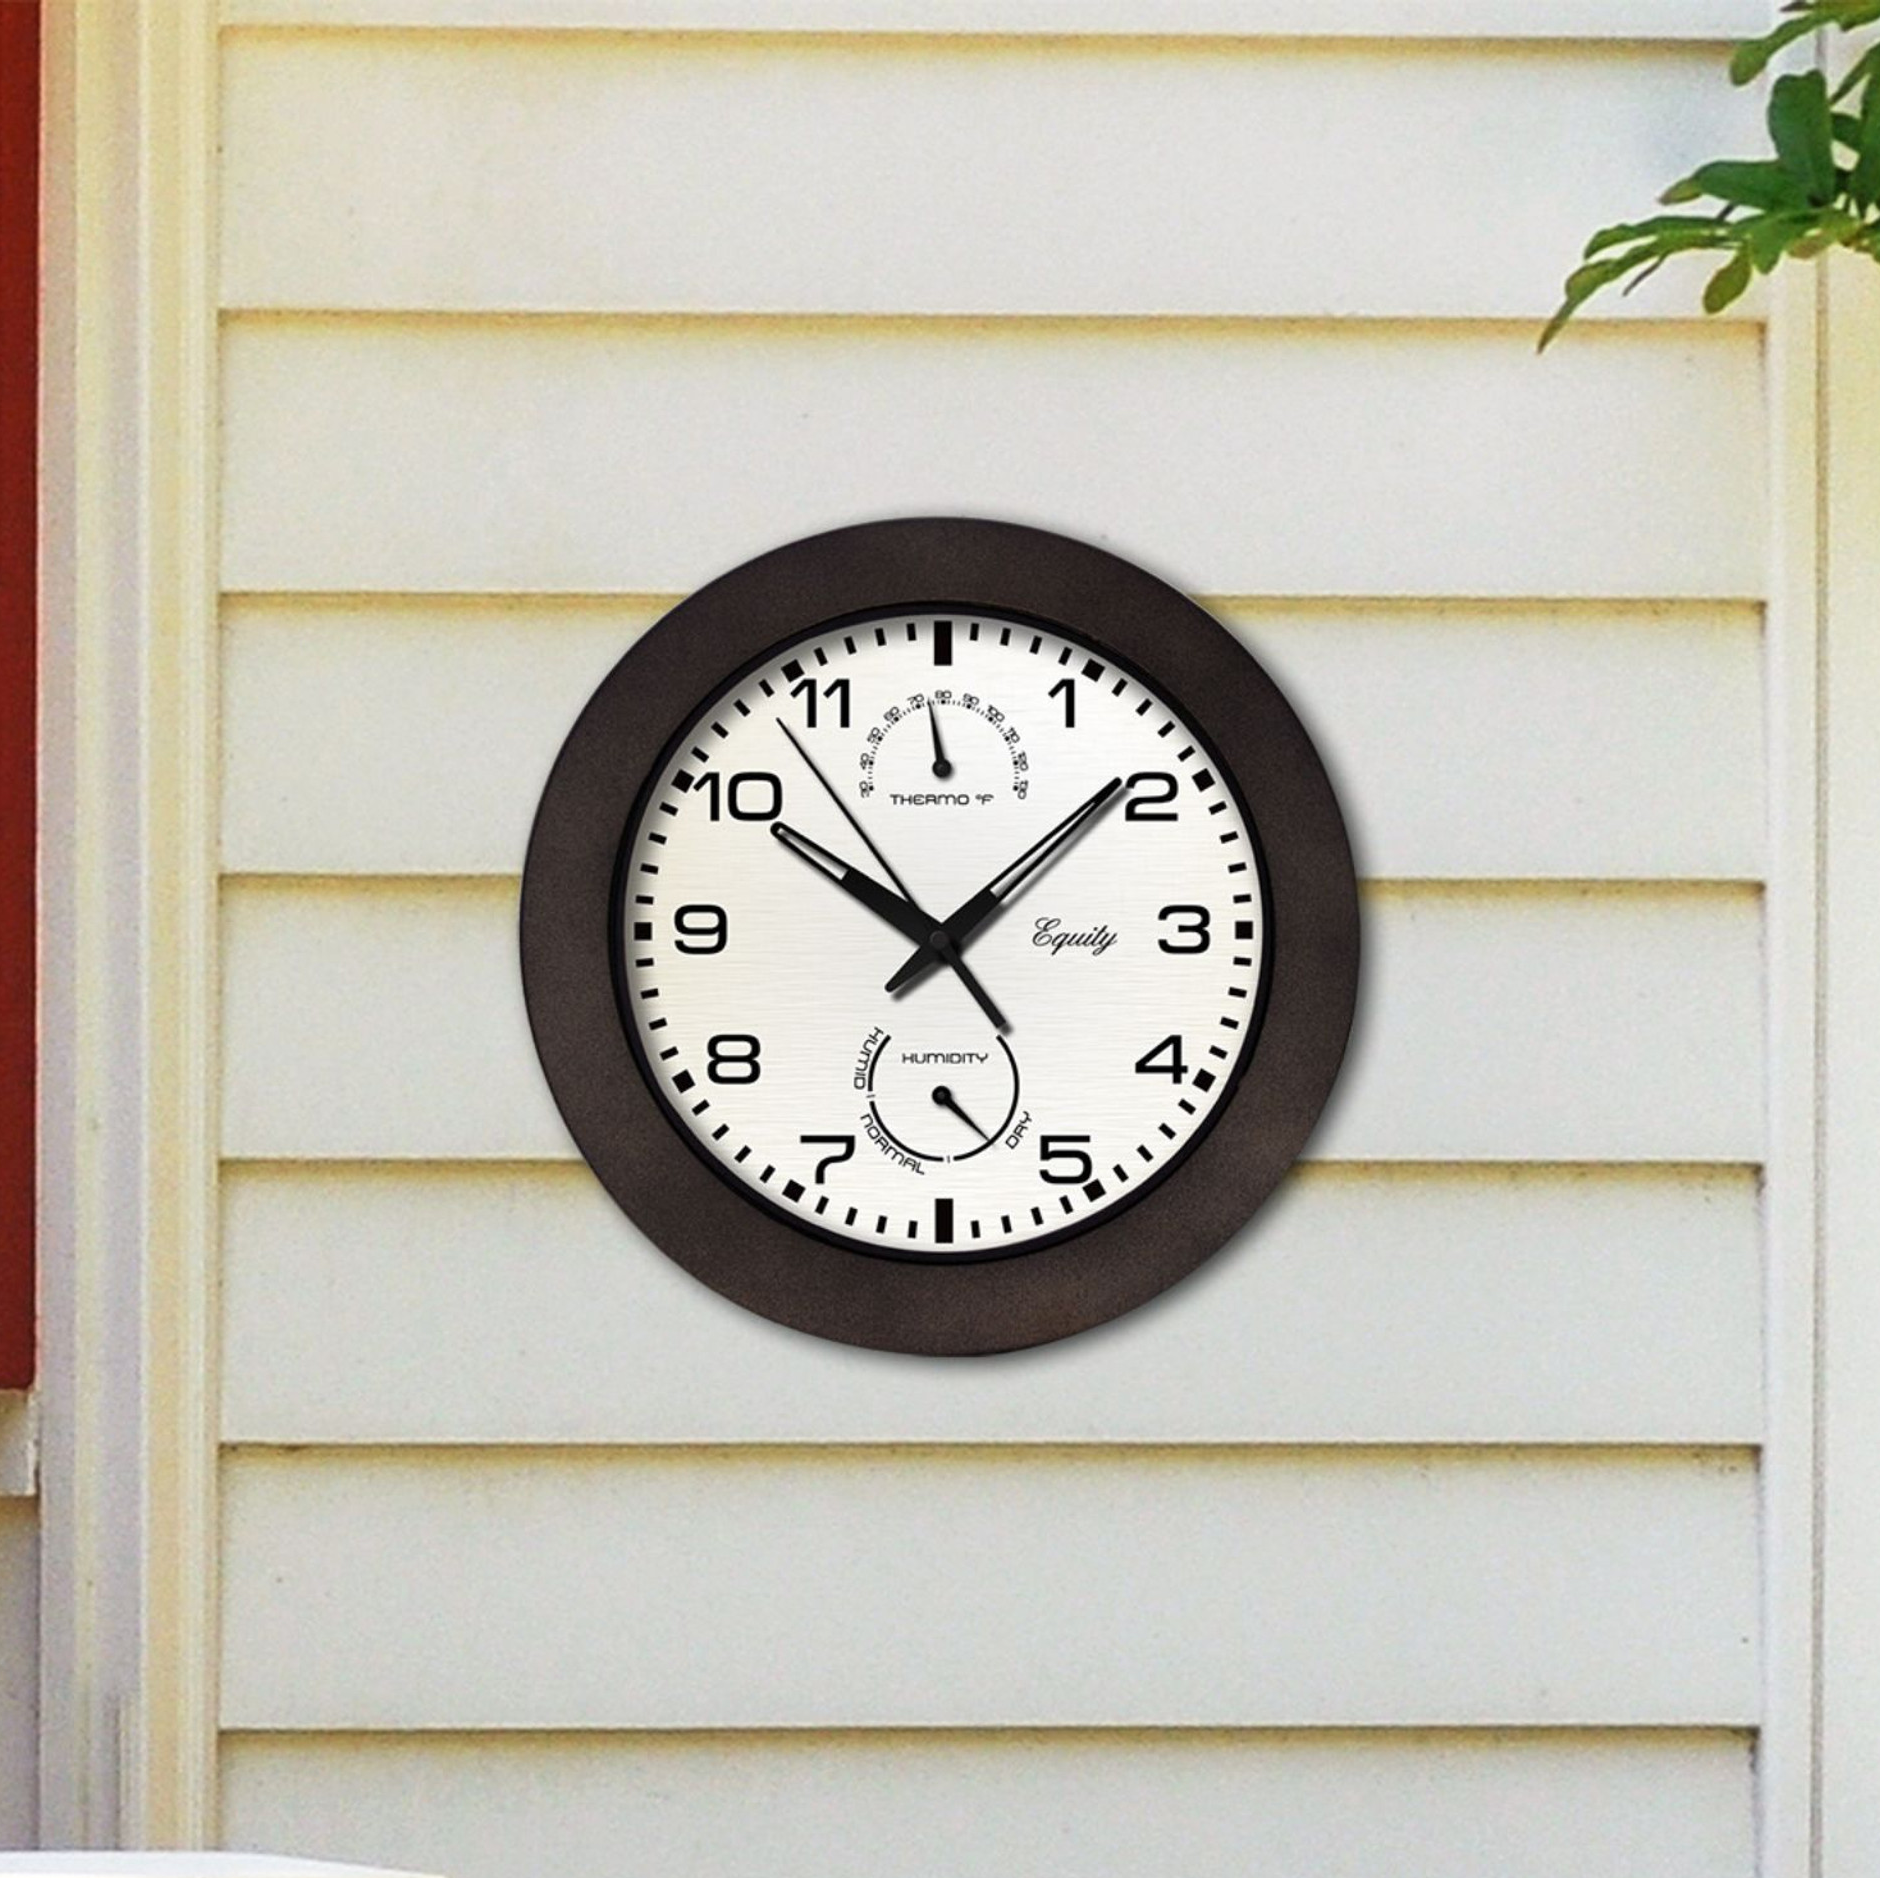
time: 10:08
